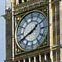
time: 1:41
